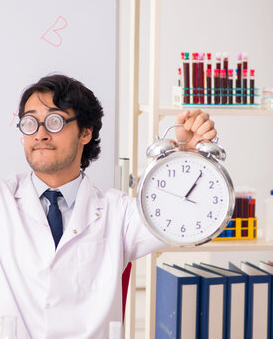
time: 1:05
